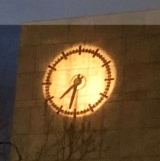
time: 7:32
